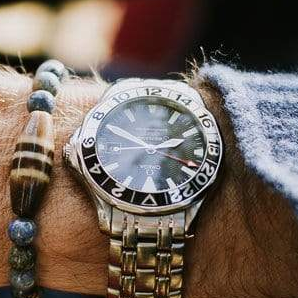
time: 2:49
